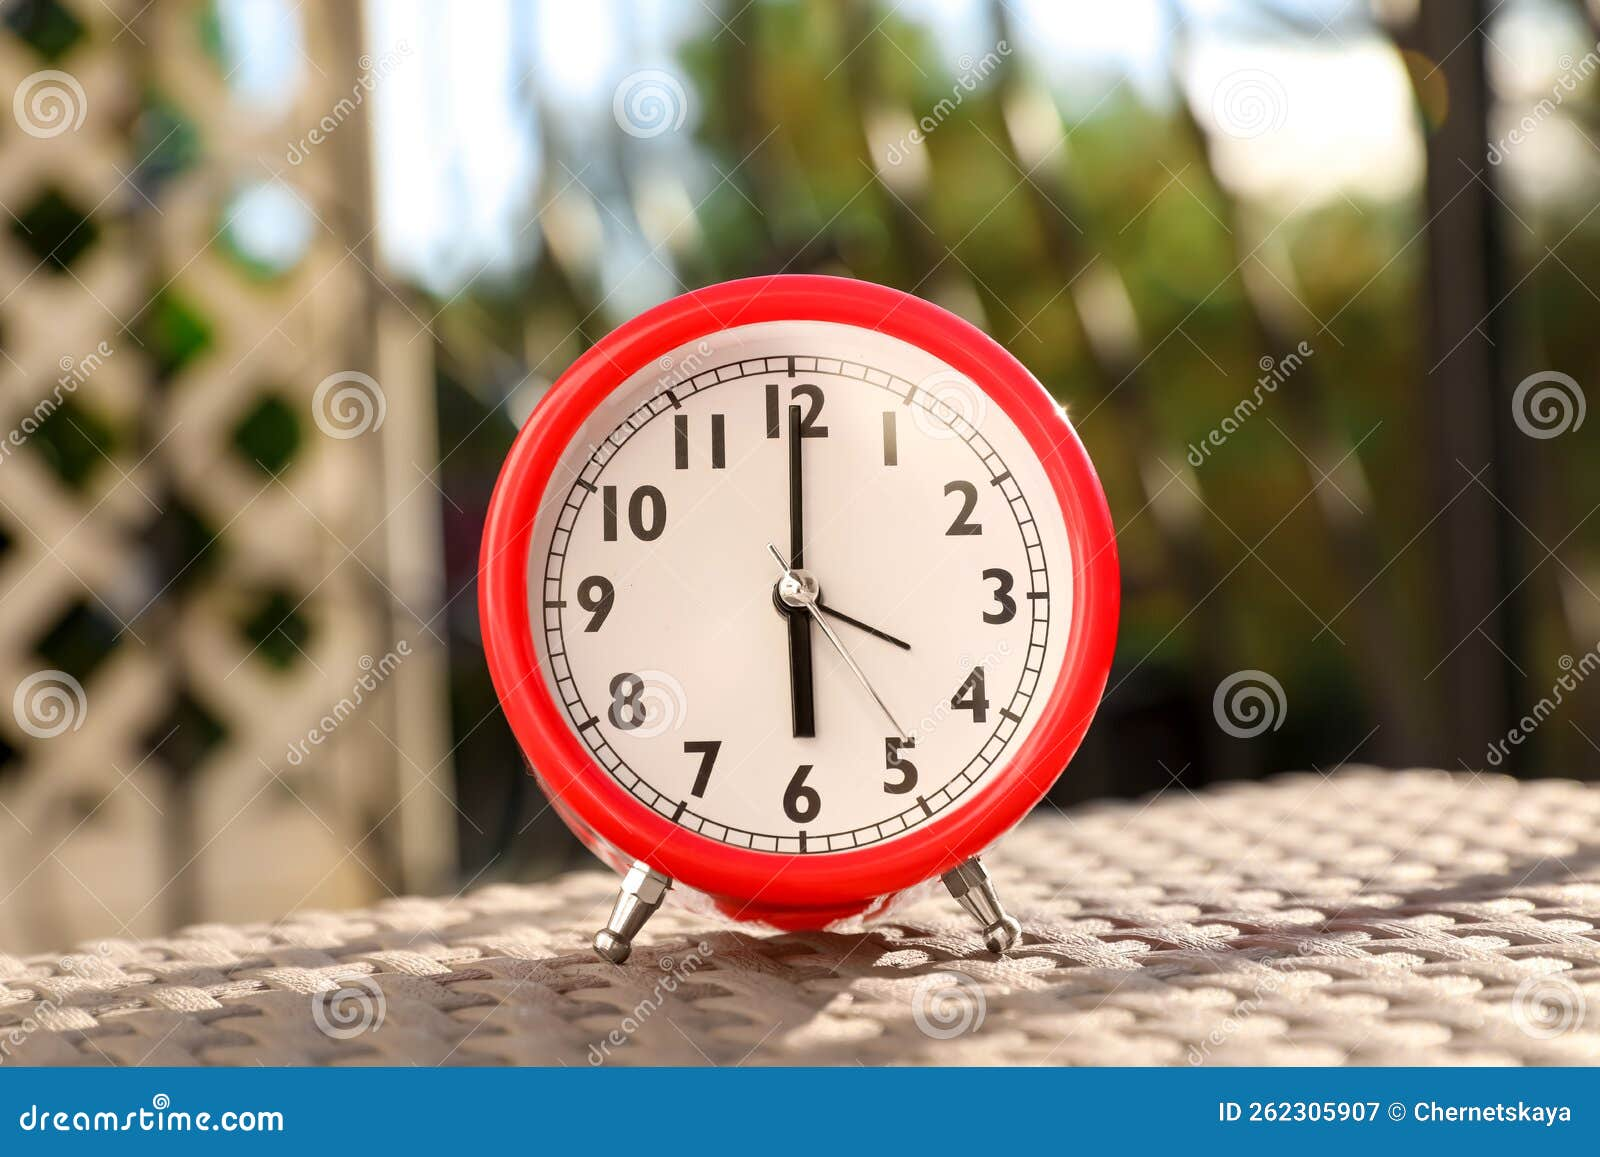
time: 6:00
